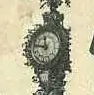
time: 11:46
